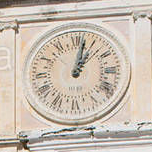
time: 1:02
